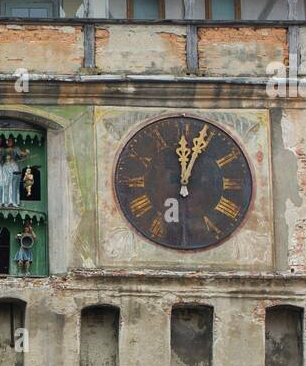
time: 12:03
